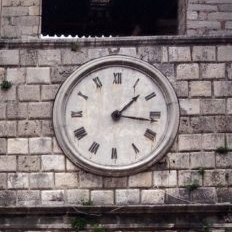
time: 1:16
